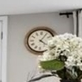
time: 4:05
